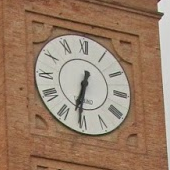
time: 6:31
